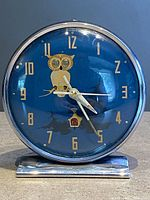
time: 4:25
